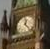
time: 12:23
